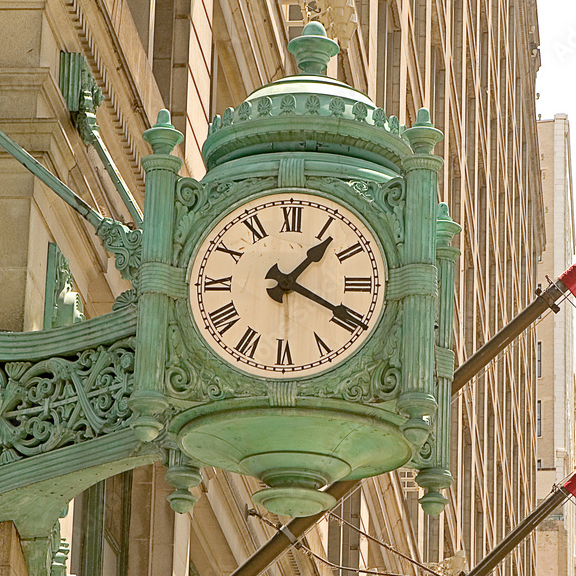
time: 1:19
